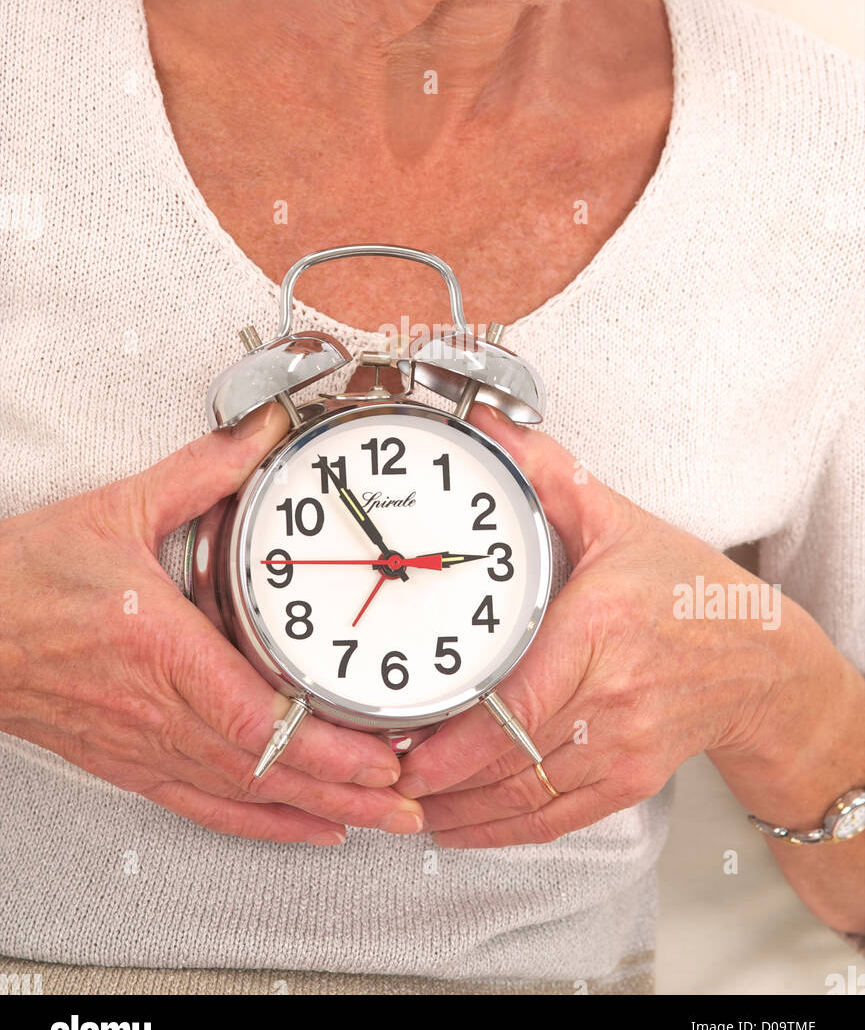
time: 2:54
